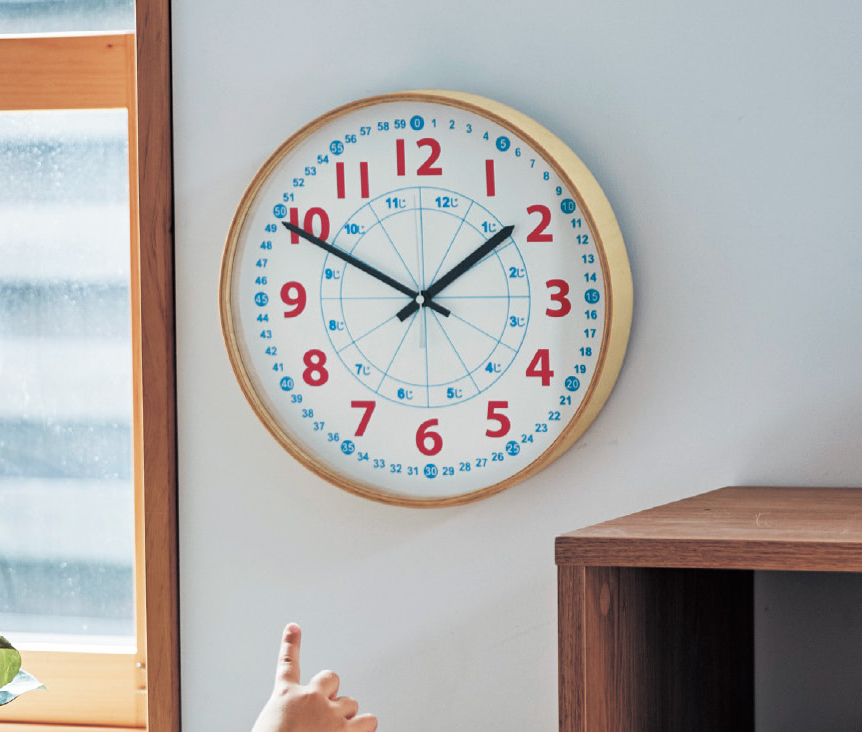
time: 1:49
